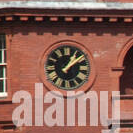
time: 1:08
